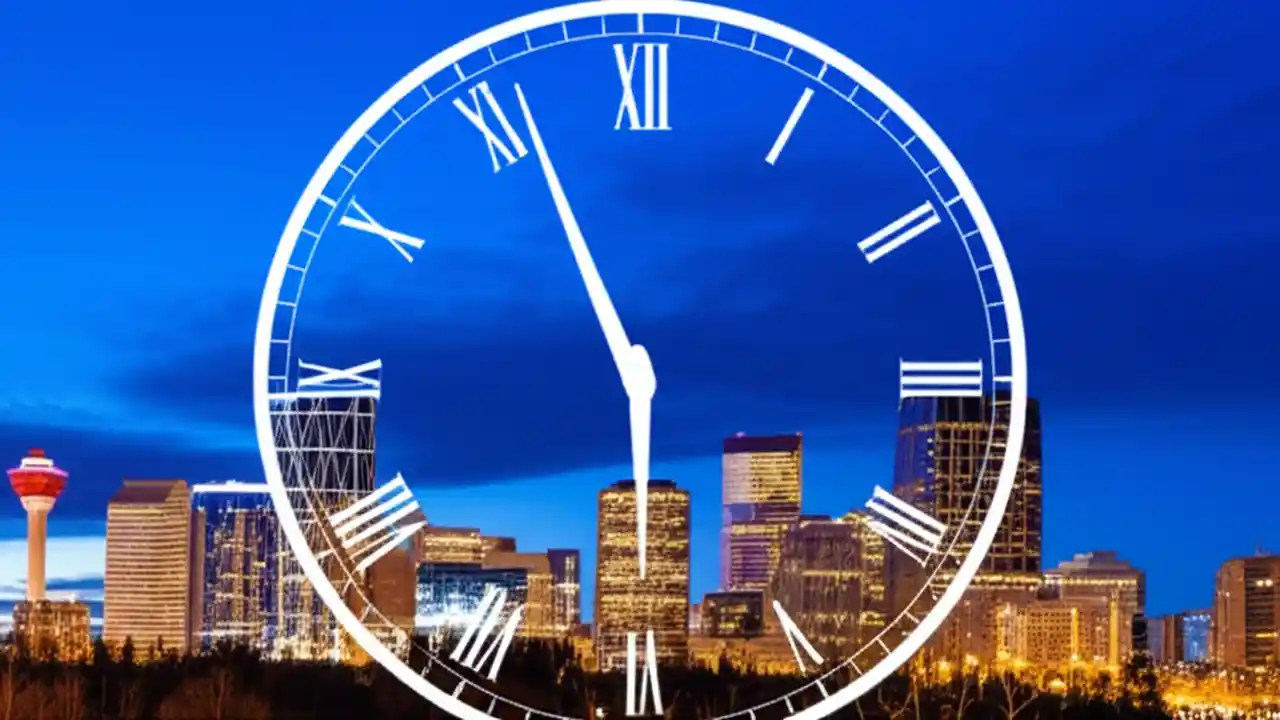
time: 5:56
